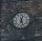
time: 12:26
